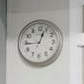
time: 12:44
